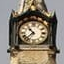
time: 10:37
